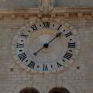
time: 1:37
